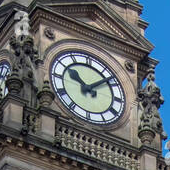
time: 10:08
